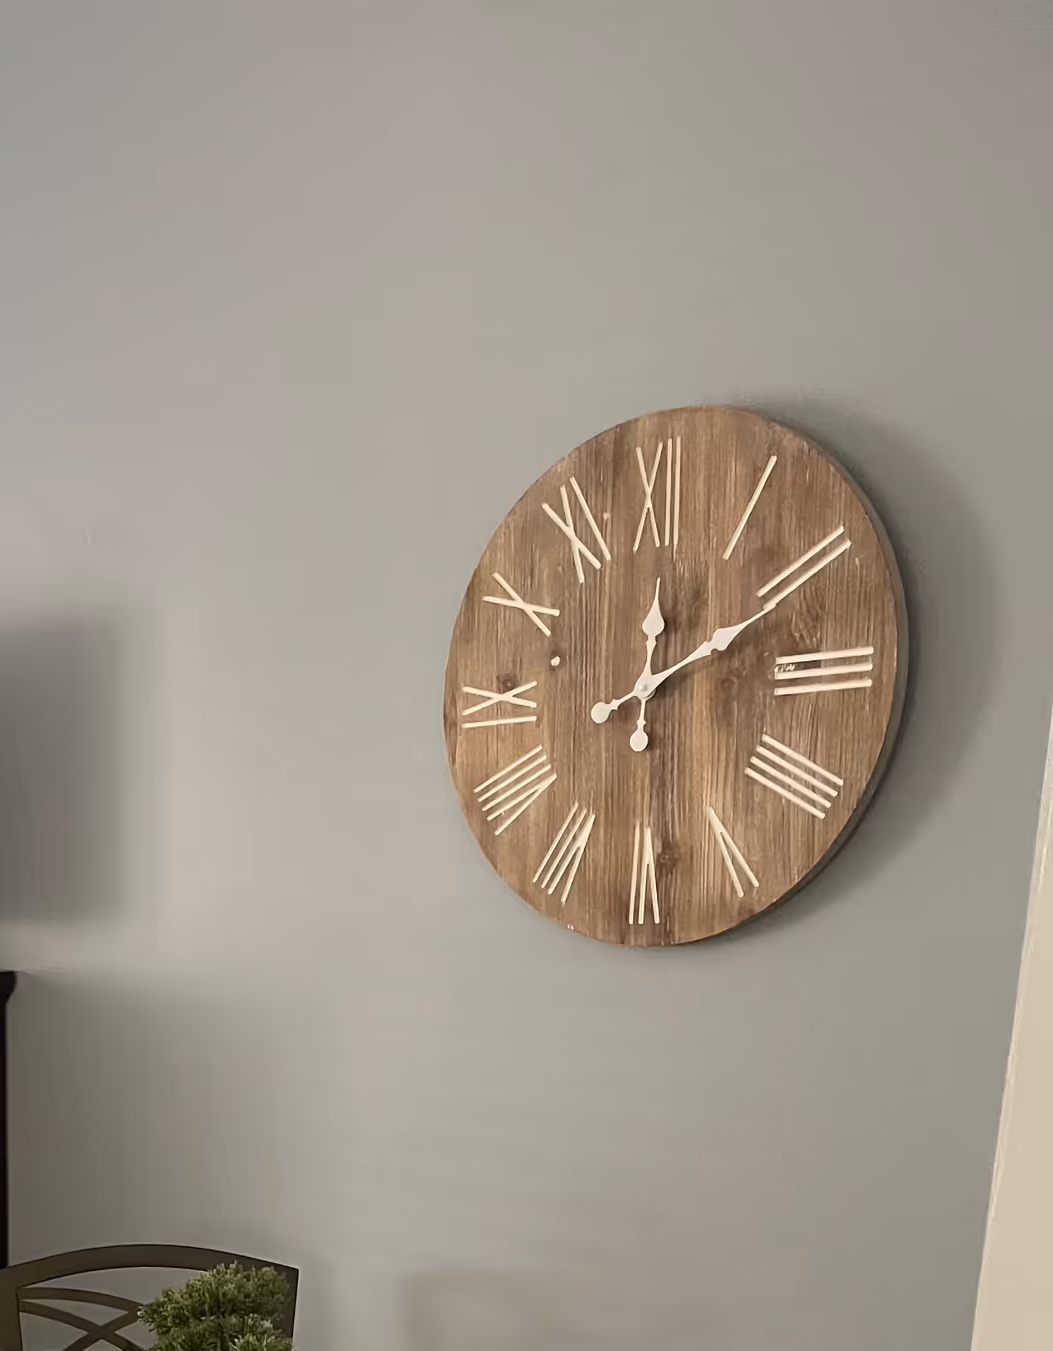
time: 12:10
